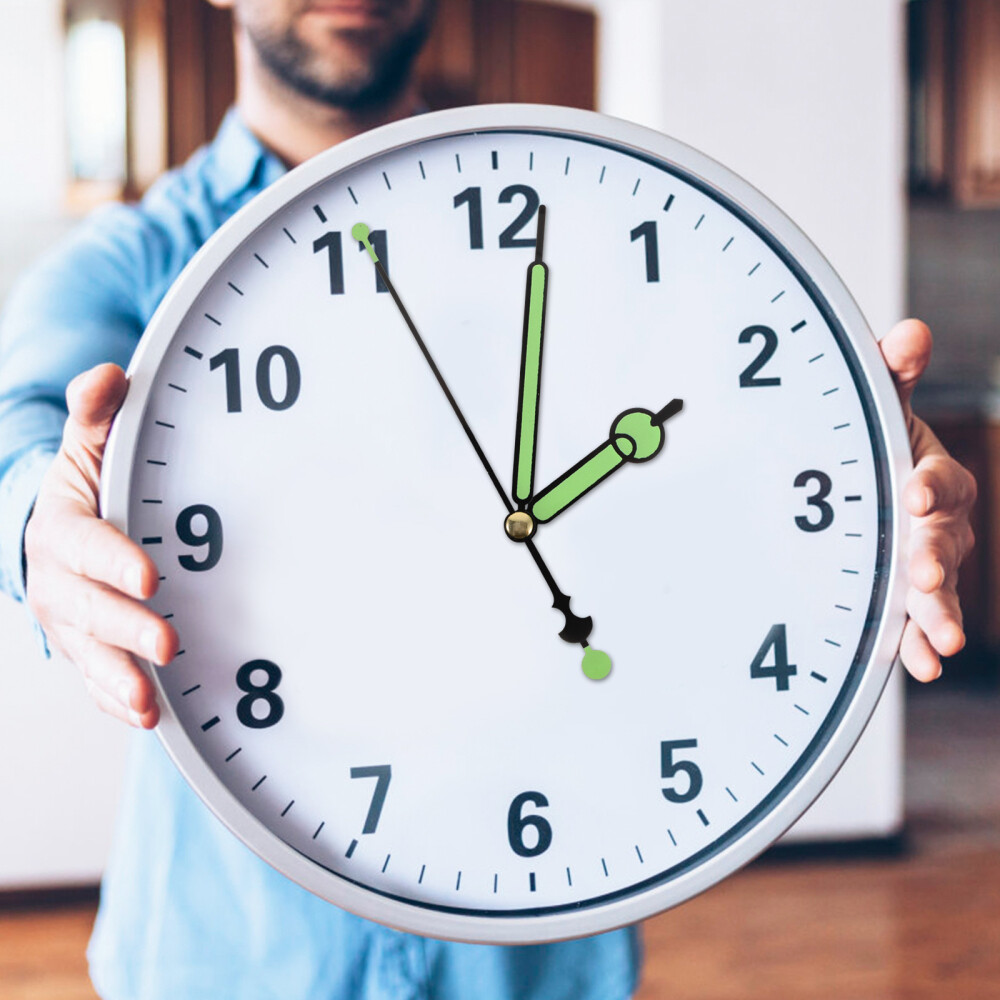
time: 2:01
